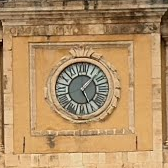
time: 5:07
